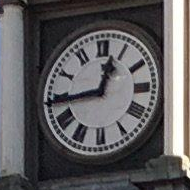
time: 12:44
